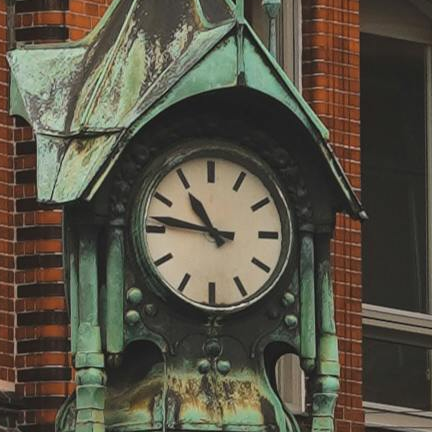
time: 10:46
